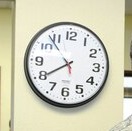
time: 7:53
